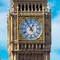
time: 12:54
